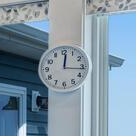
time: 12:16
